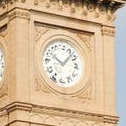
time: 10:07
